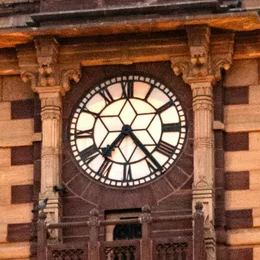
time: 7:23
